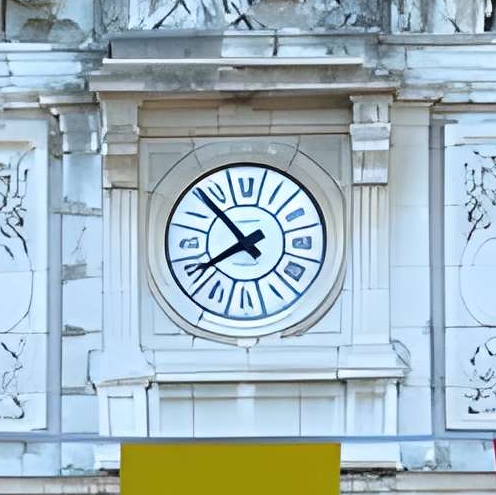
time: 7:52
